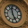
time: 4:57
